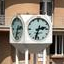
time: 2:33
